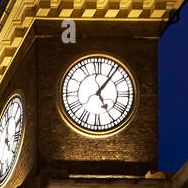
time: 5:06
